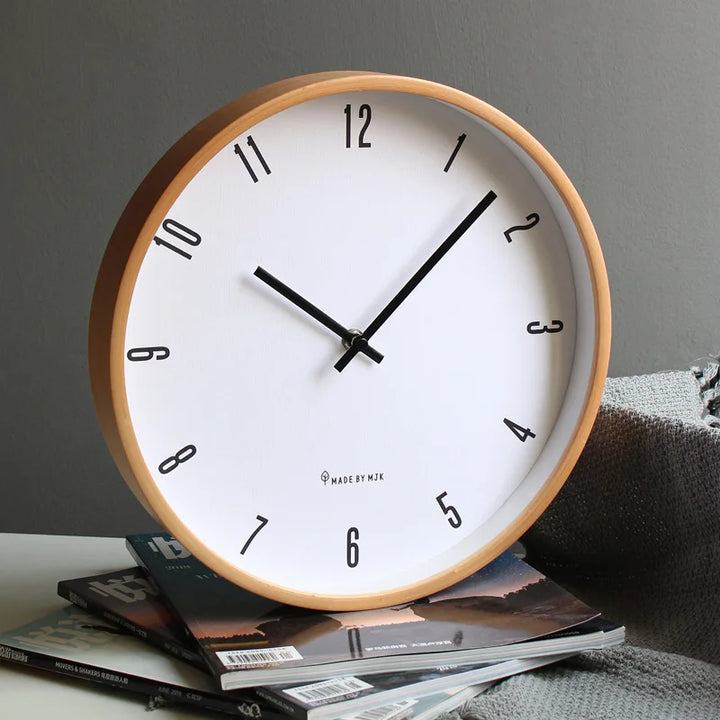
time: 10:07
